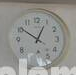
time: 12:50
